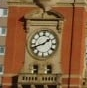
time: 1:41
